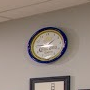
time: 1:46
